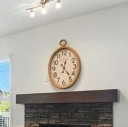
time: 12:23
